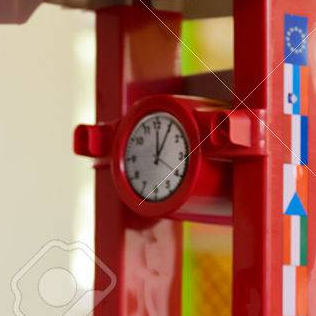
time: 12:05
